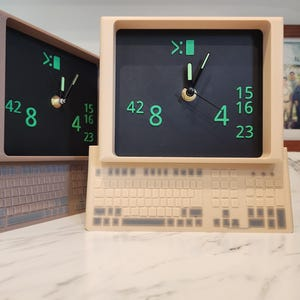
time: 12:04
